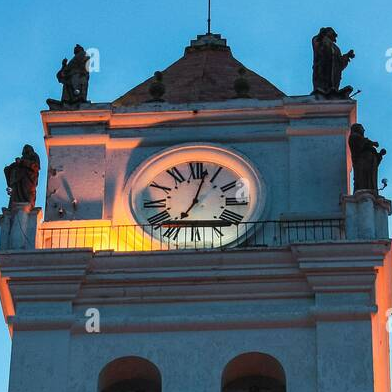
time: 7:02
